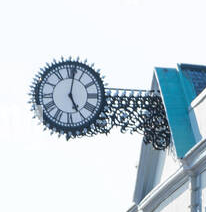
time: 5:02
